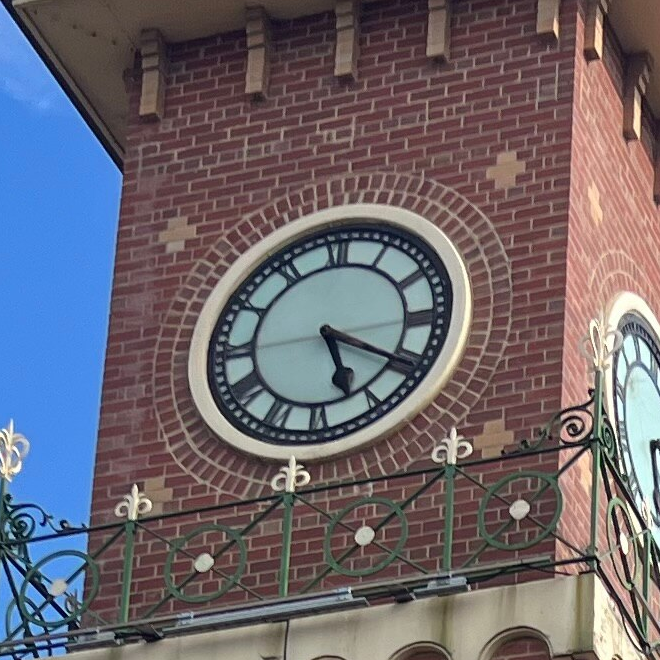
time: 5:20
